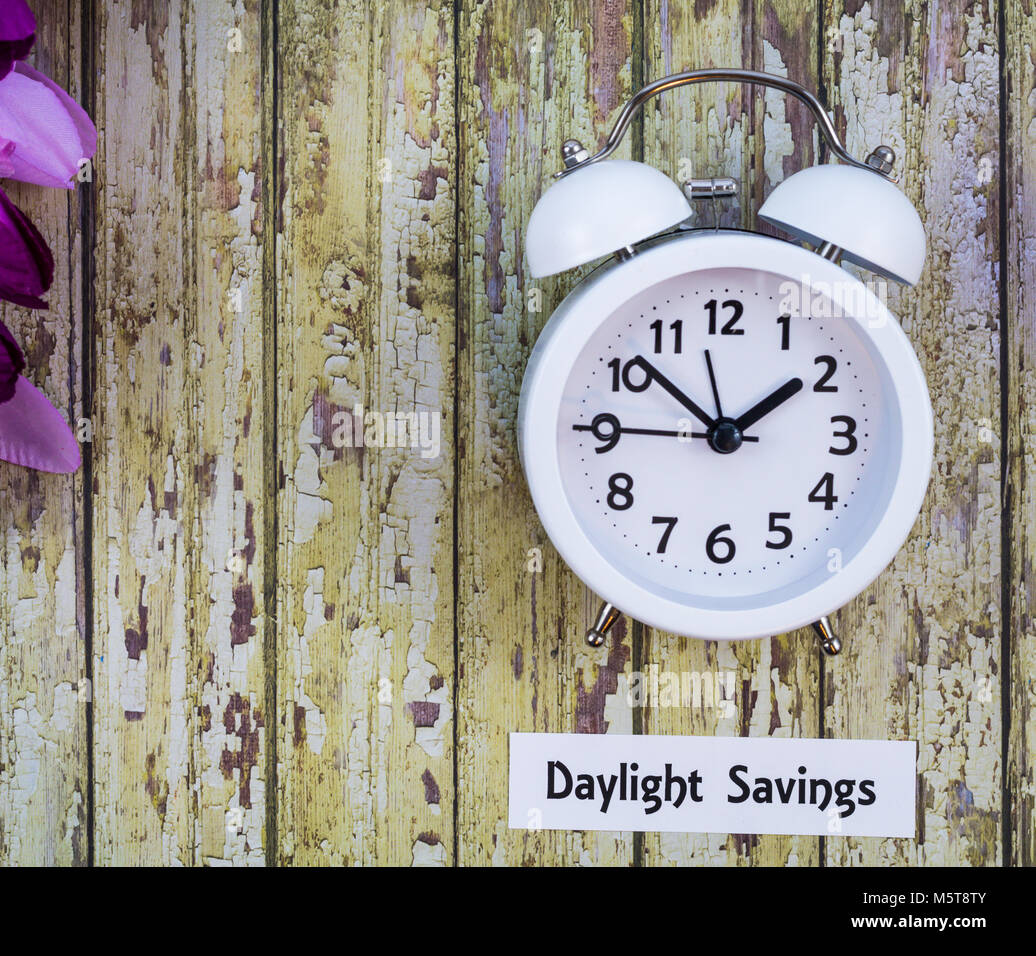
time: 1:51
